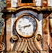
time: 1:42
